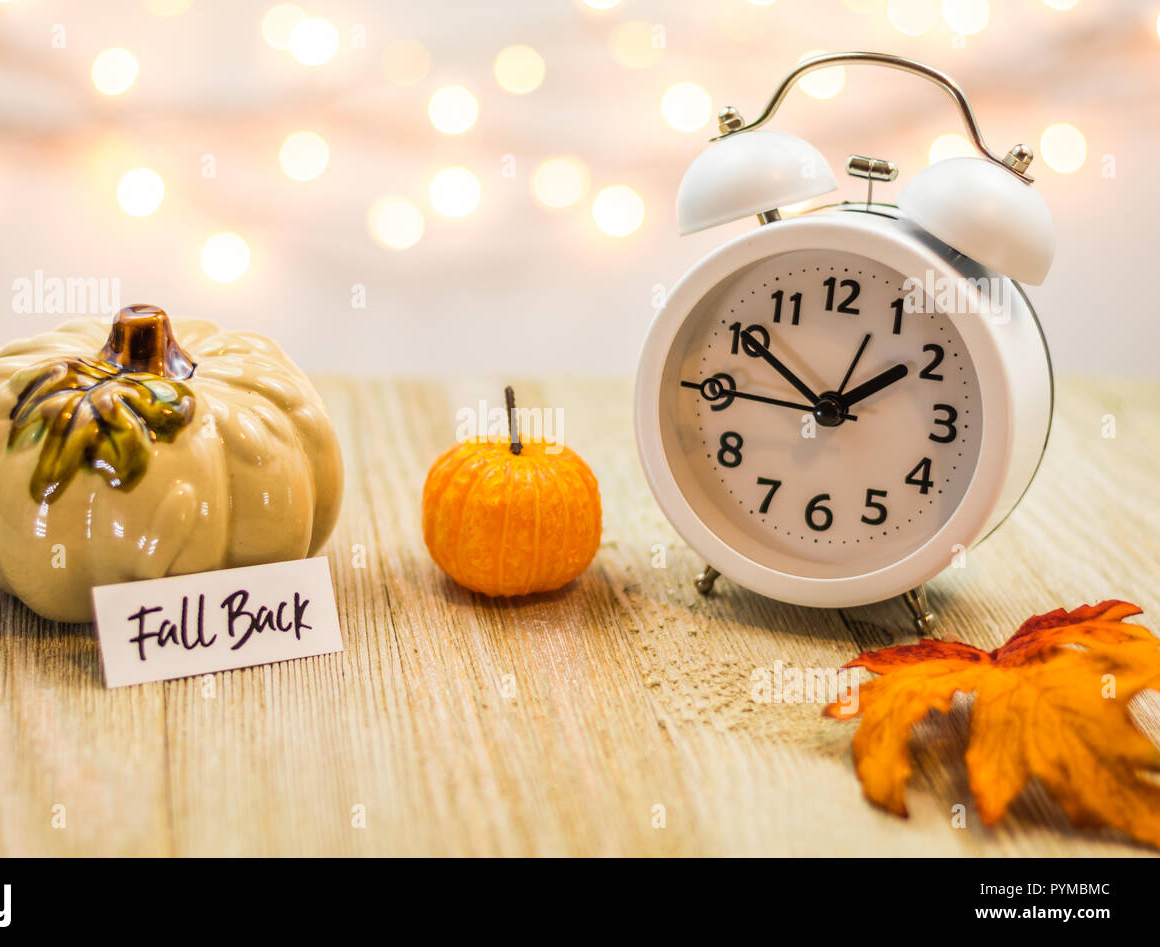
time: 1:50
